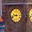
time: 9:42
